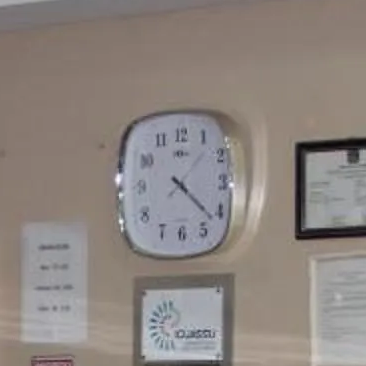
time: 4:21
